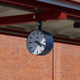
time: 4:18
